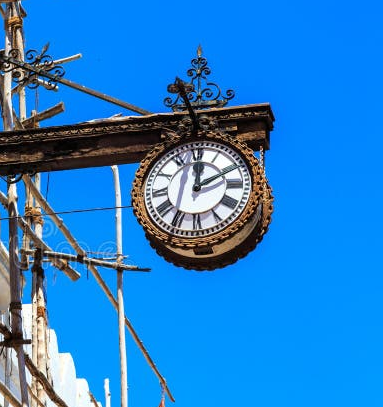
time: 12:10
